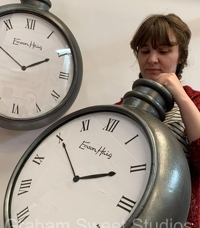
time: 1:50
